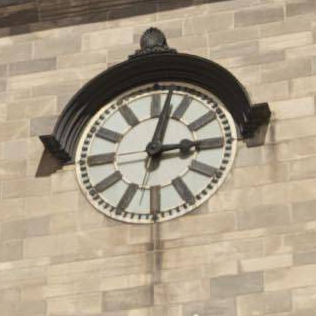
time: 3:02
